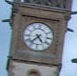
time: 4:37
